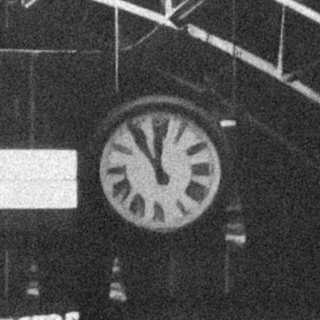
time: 11:53
